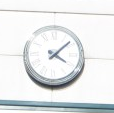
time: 4:08
